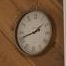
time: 1:41
